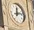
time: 12:12
